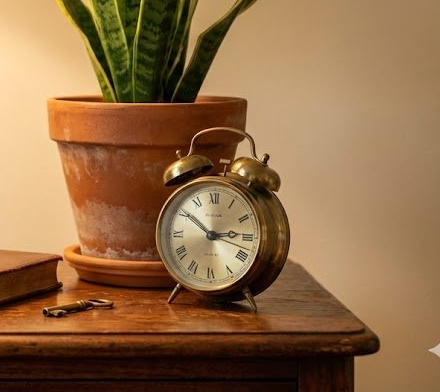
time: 2:51
